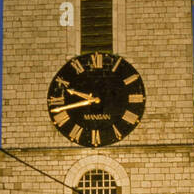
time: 9:42
